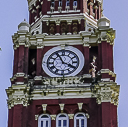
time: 3:55
